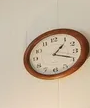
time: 1:18
